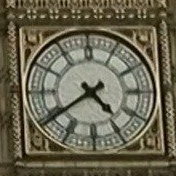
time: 4:39
